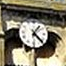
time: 1:22
